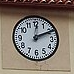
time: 12:10
